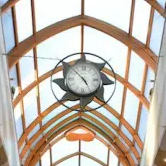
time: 4:52
